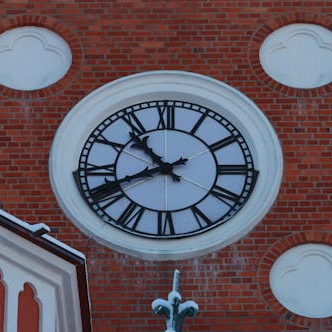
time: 10:41
